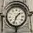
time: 1:33
